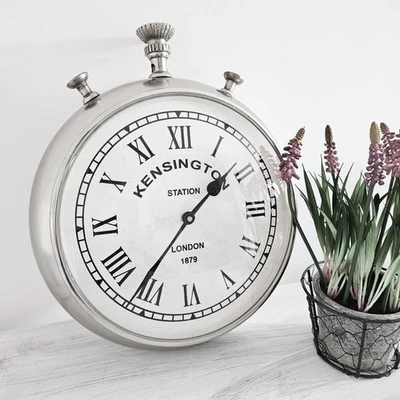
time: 1:36
